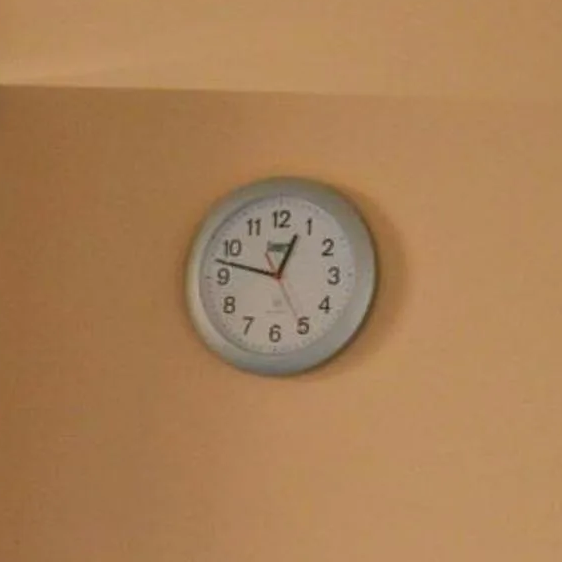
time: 12:47
